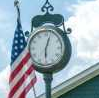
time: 6:03
